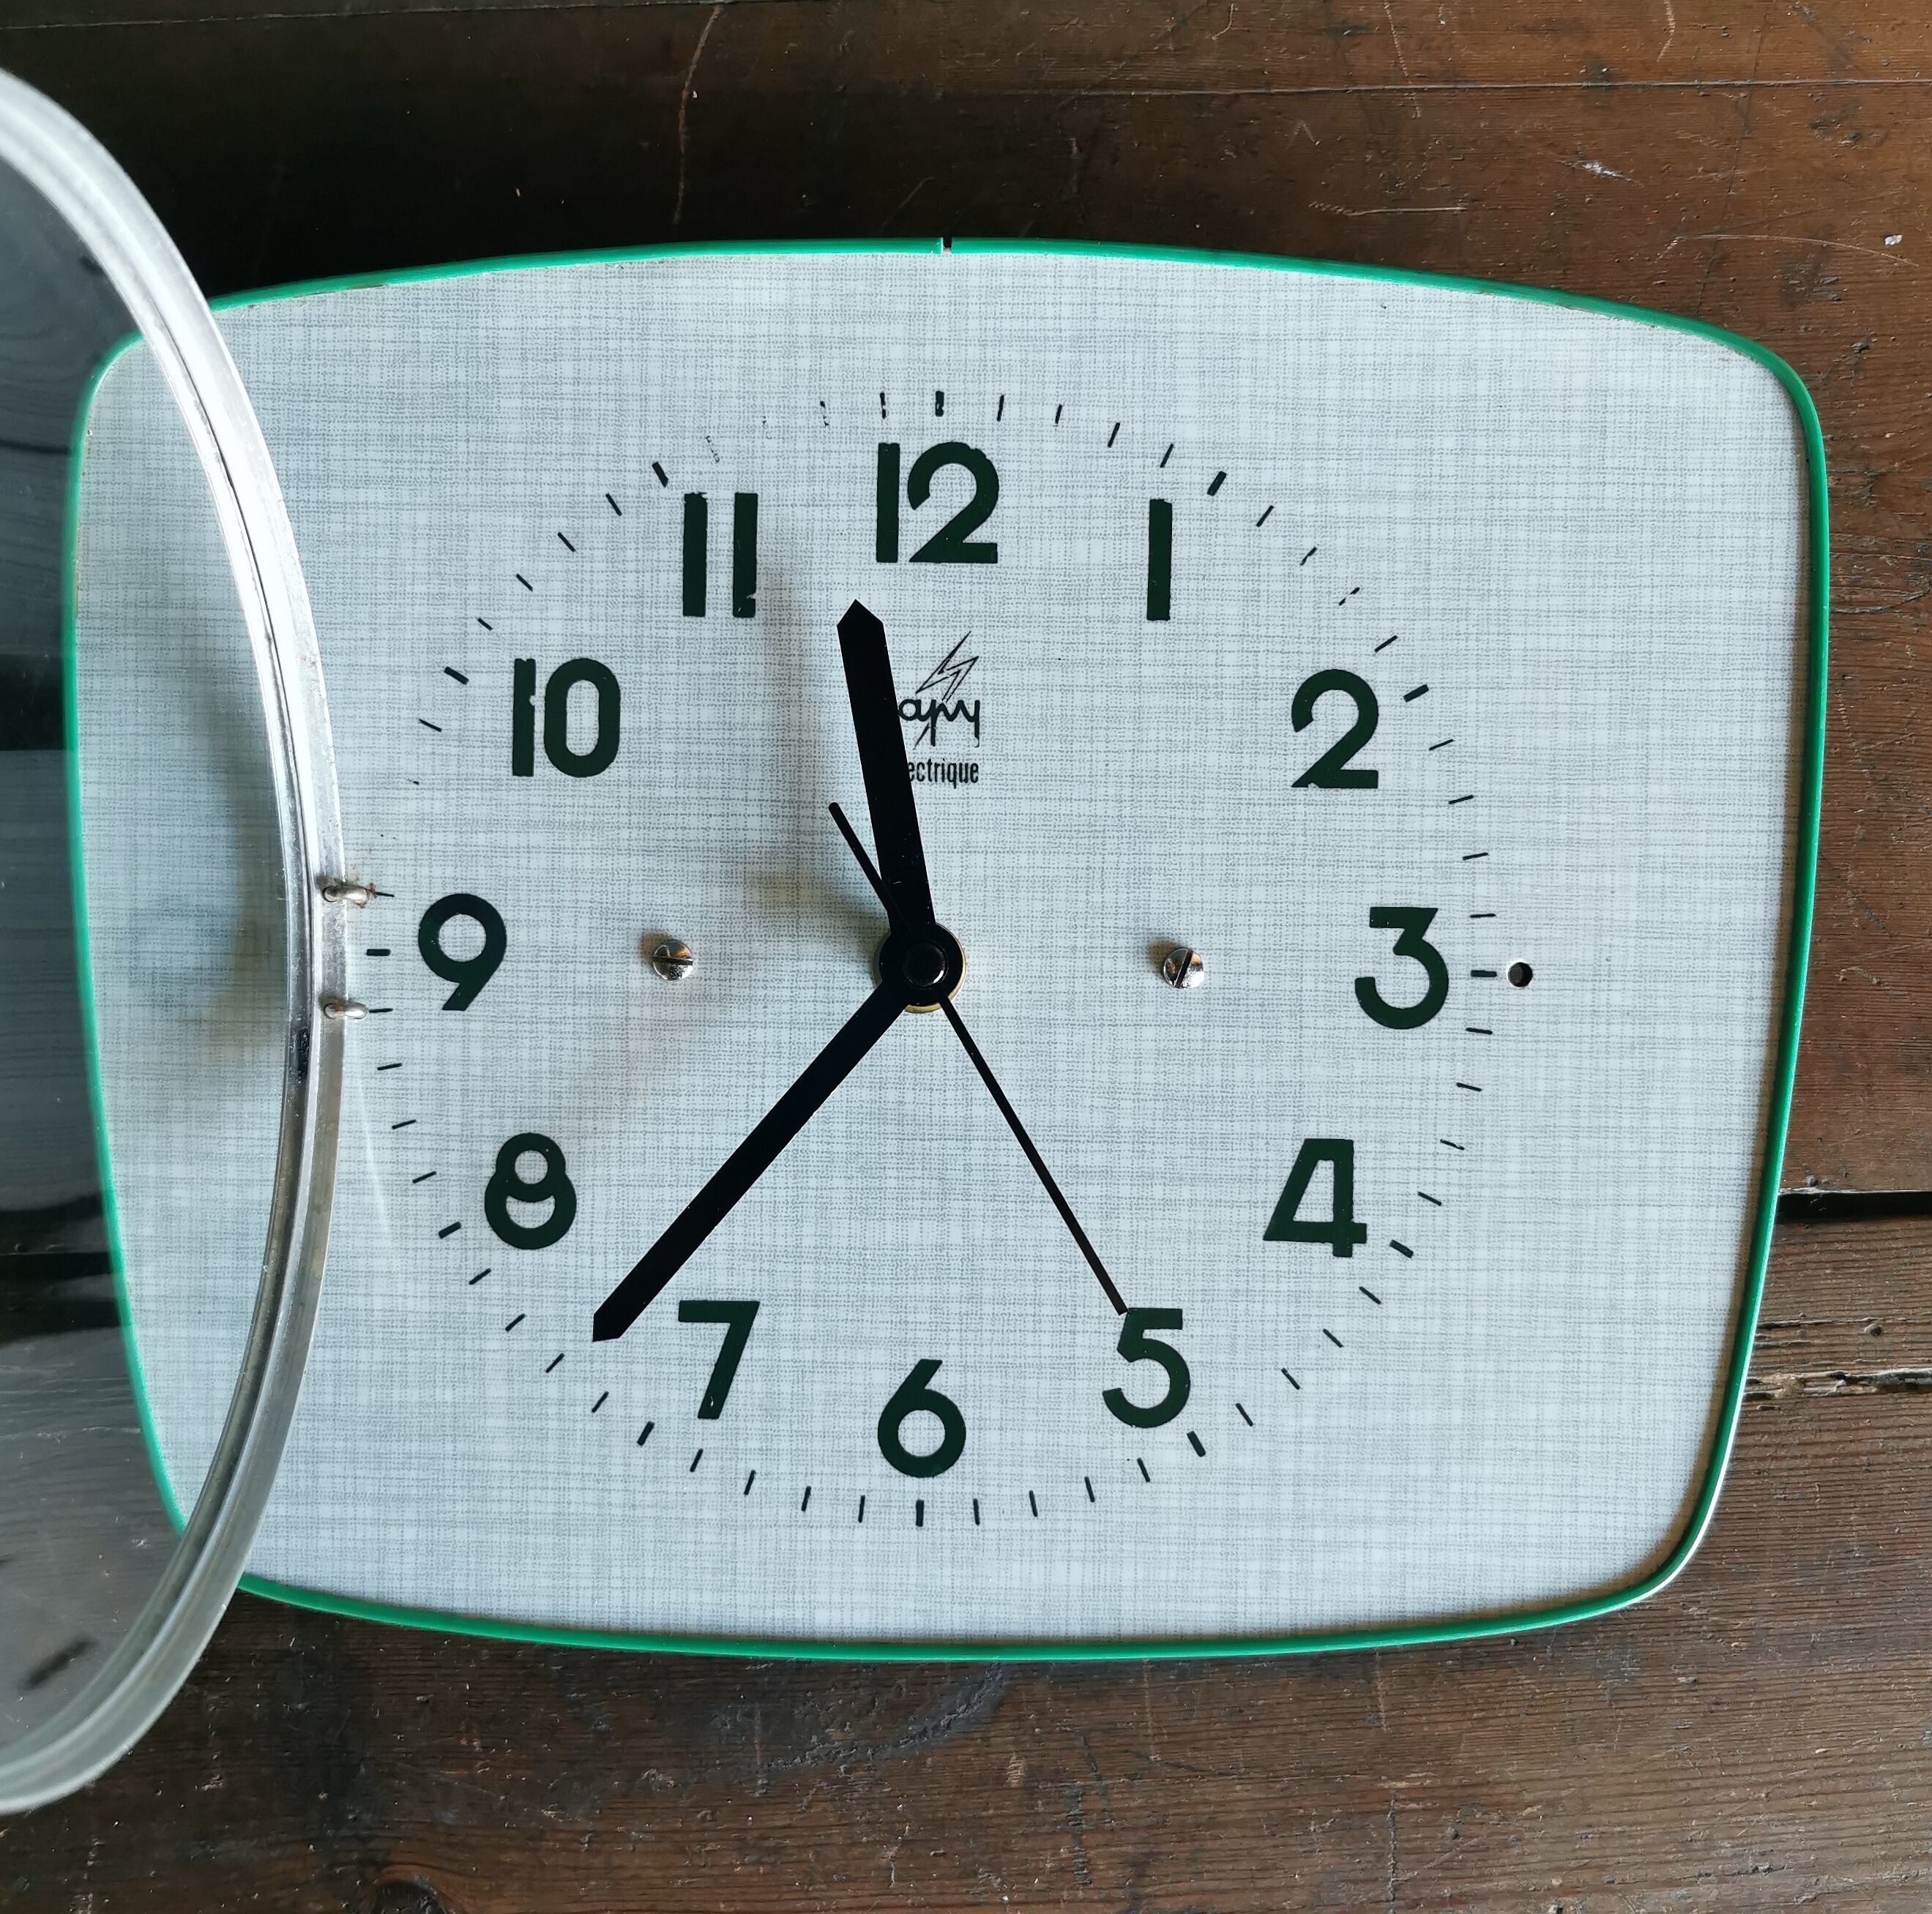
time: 11:37
